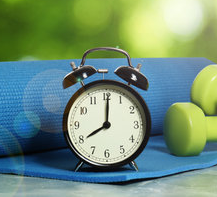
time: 8:01
